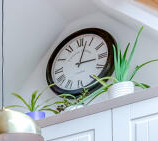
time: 3:02
